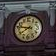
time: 7:46
